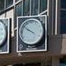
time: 9:50
